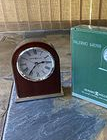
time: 2:36
